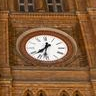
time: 7:31
